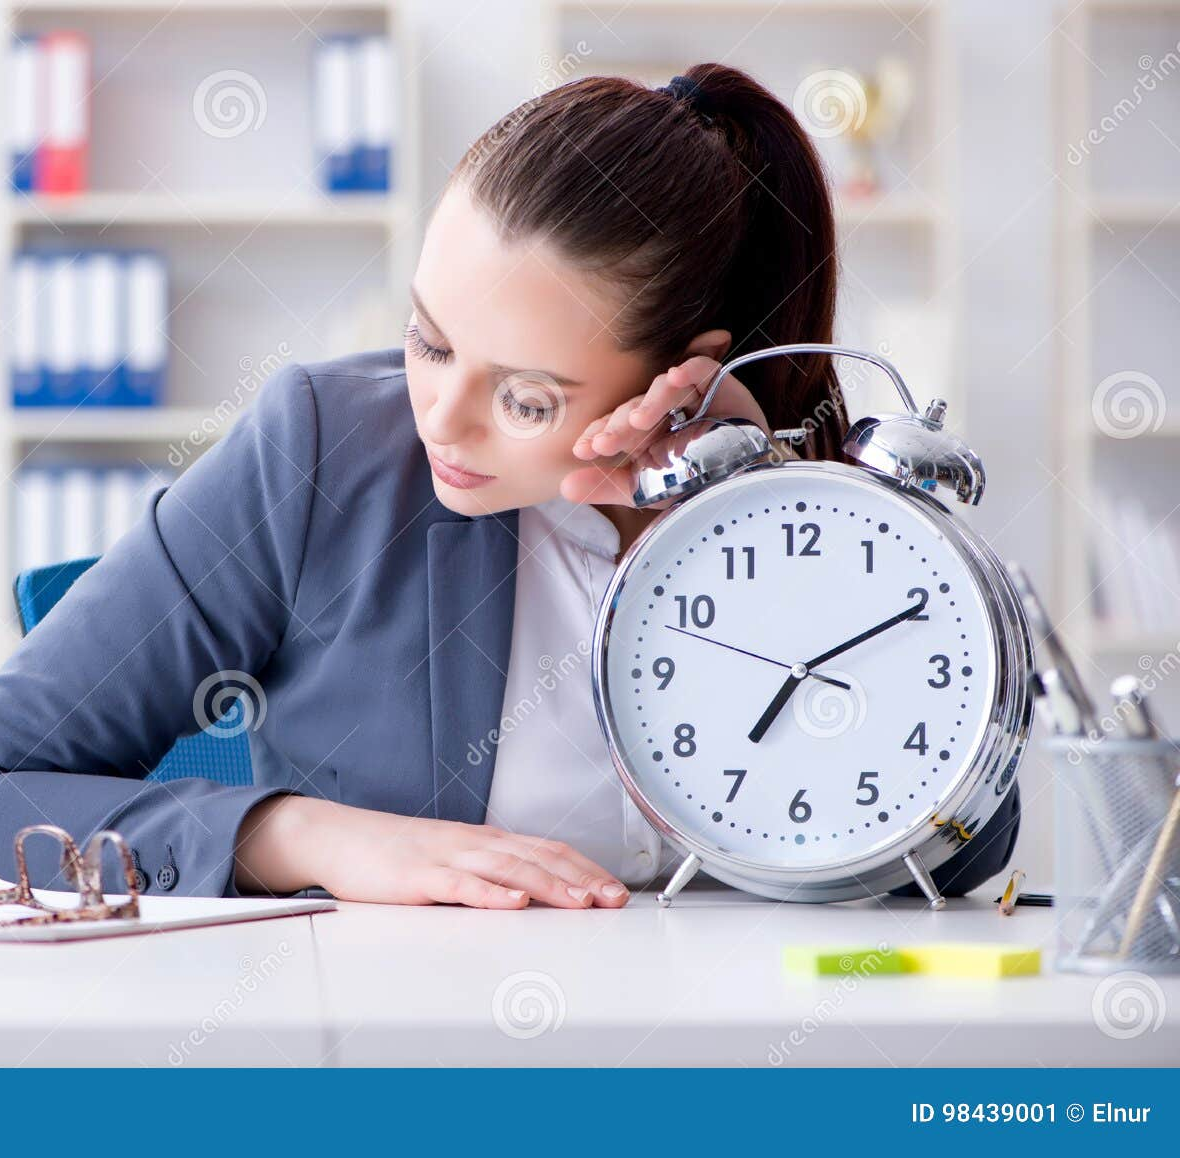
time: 7:10
